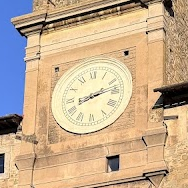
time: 8:12
